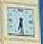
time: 6:29
